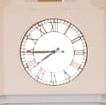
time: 7:44
